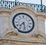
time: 7:28
